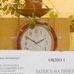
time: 1:50
